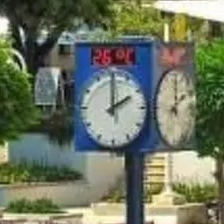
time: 2:00
